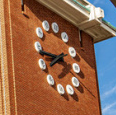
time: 7:43
